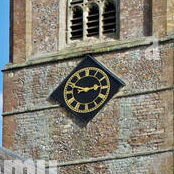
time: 2:48
